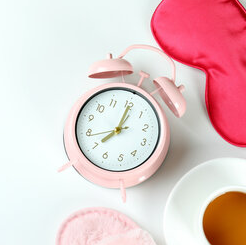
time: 8:04
